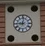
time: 9:01
